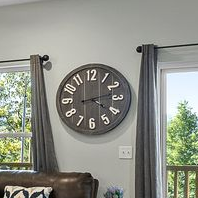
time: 4:12
